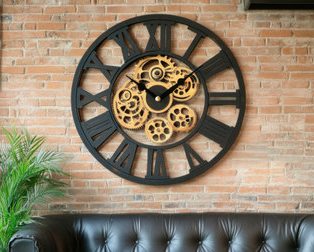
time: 1:50
